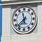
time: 11:37
